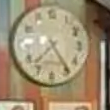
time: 7:23
